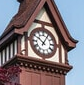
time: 10:05
